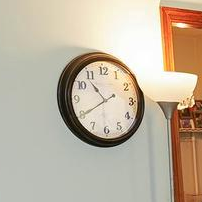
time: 10:39
